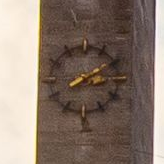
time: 2:09
